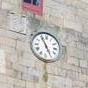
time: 4:54
